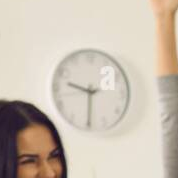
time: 9:30
